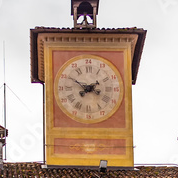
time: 1:50
